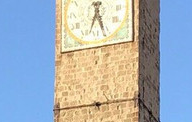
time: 5:33
